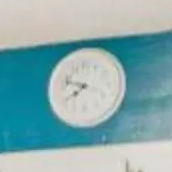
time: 7:47
